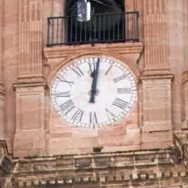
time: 12:01
